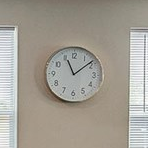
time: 11:08
